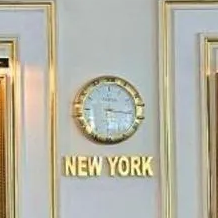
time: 3:16
